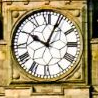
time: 10:04
